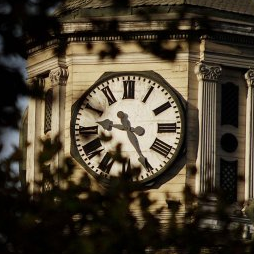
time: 9:25
